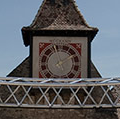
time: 5:09
